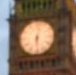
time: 6:02
